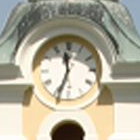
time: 11:33
